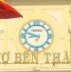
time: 8:48
